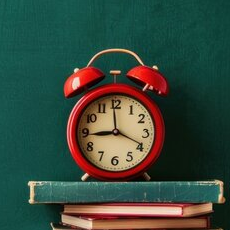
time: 8:59
